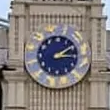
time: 2:15
